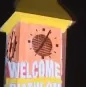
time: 7:04
